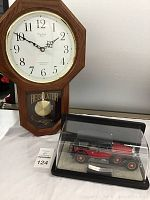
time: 1:50
